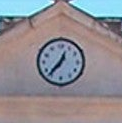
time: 12:36
